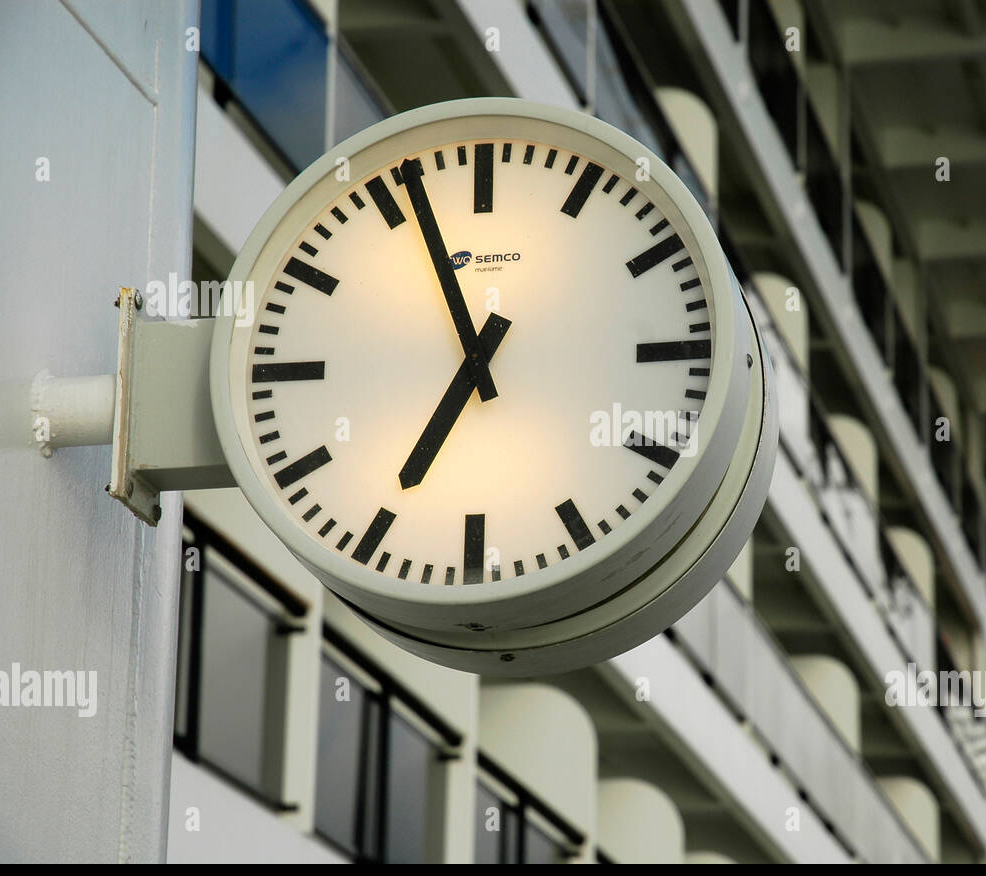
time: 6:56
